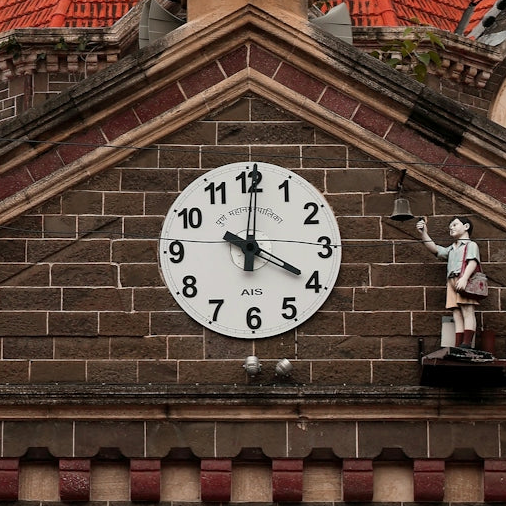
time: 4:00
